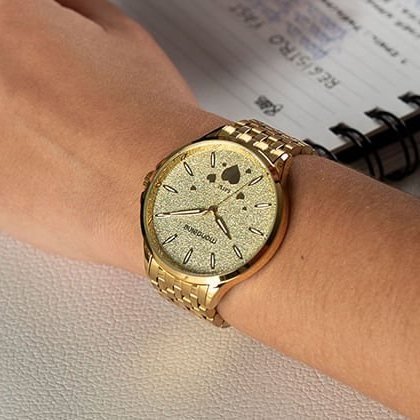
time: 4:45
